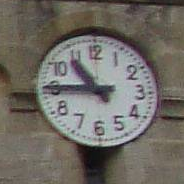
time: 10:45
